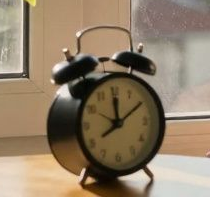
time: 12:09
